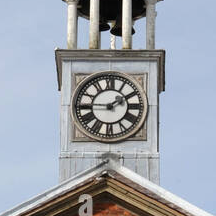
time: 1:45
